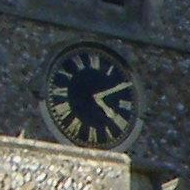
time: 4:10
